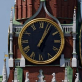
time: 1:03
